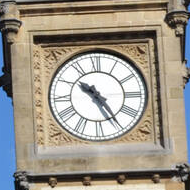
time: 10:24
